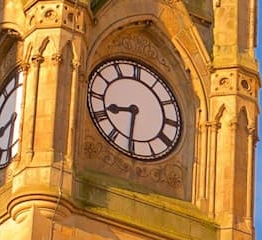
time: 8:30
